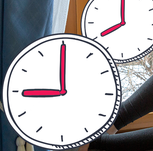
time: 8:00
